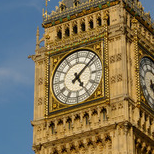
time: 5:08
